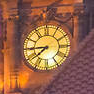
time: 7:44
